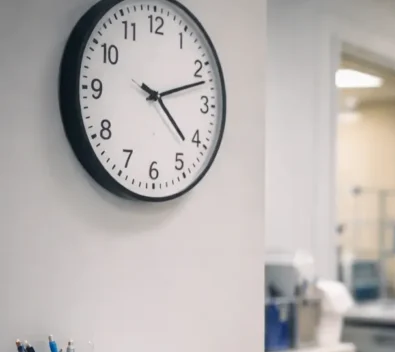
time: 4:12
